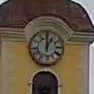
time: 1:00
